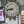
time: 8:43
